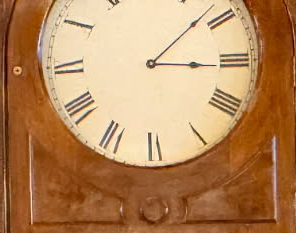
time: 3:08
